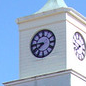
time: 7:45
